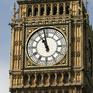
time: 10:58
